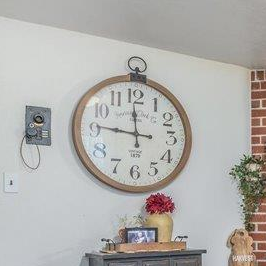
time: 11:46
